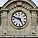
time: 4:48
